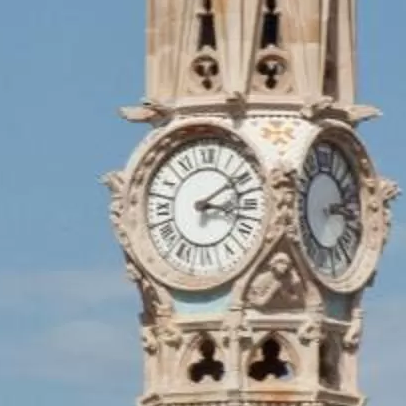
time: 3:09
